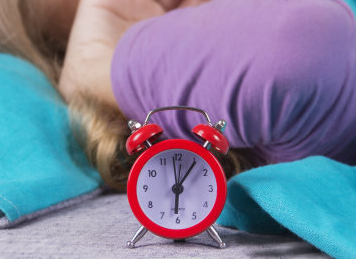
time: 6:05
